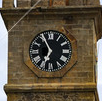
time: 6:55
